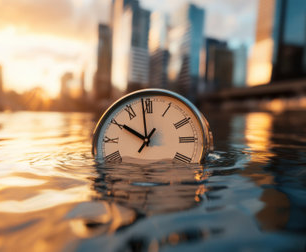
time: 9:58
